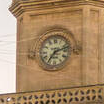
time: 7:12
